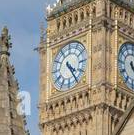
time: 4:24
